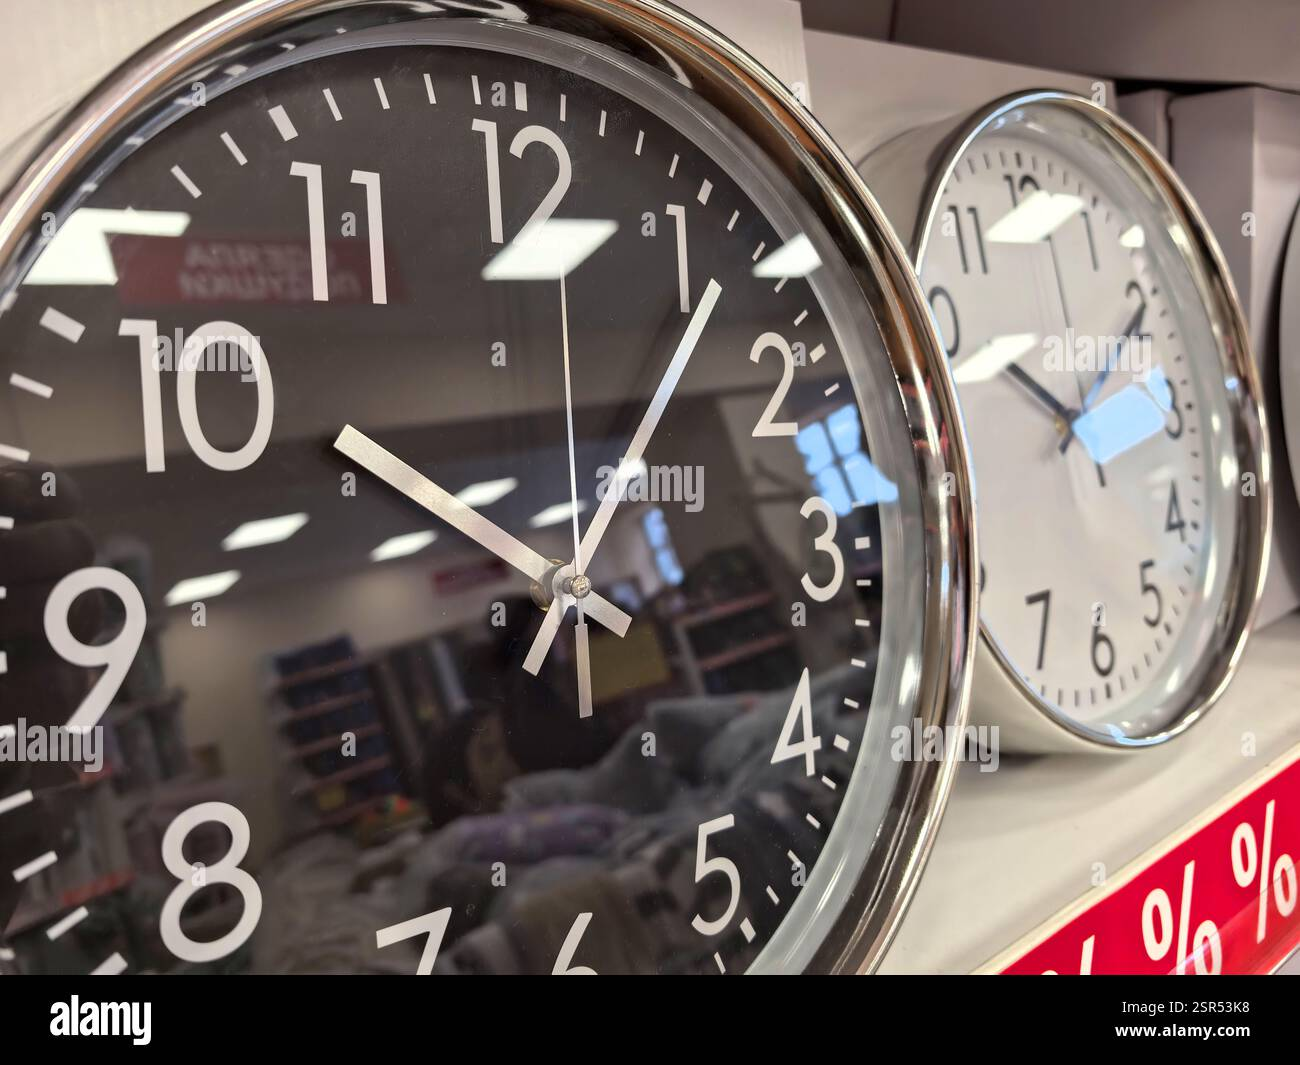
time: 10:06
